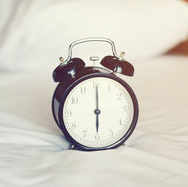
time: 6:00
